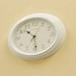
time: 10:28
